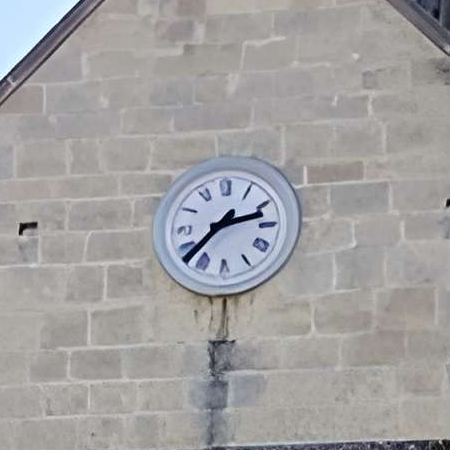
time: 2:37
